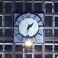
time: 1:32
